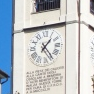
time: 1:24
